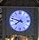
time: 7:47
